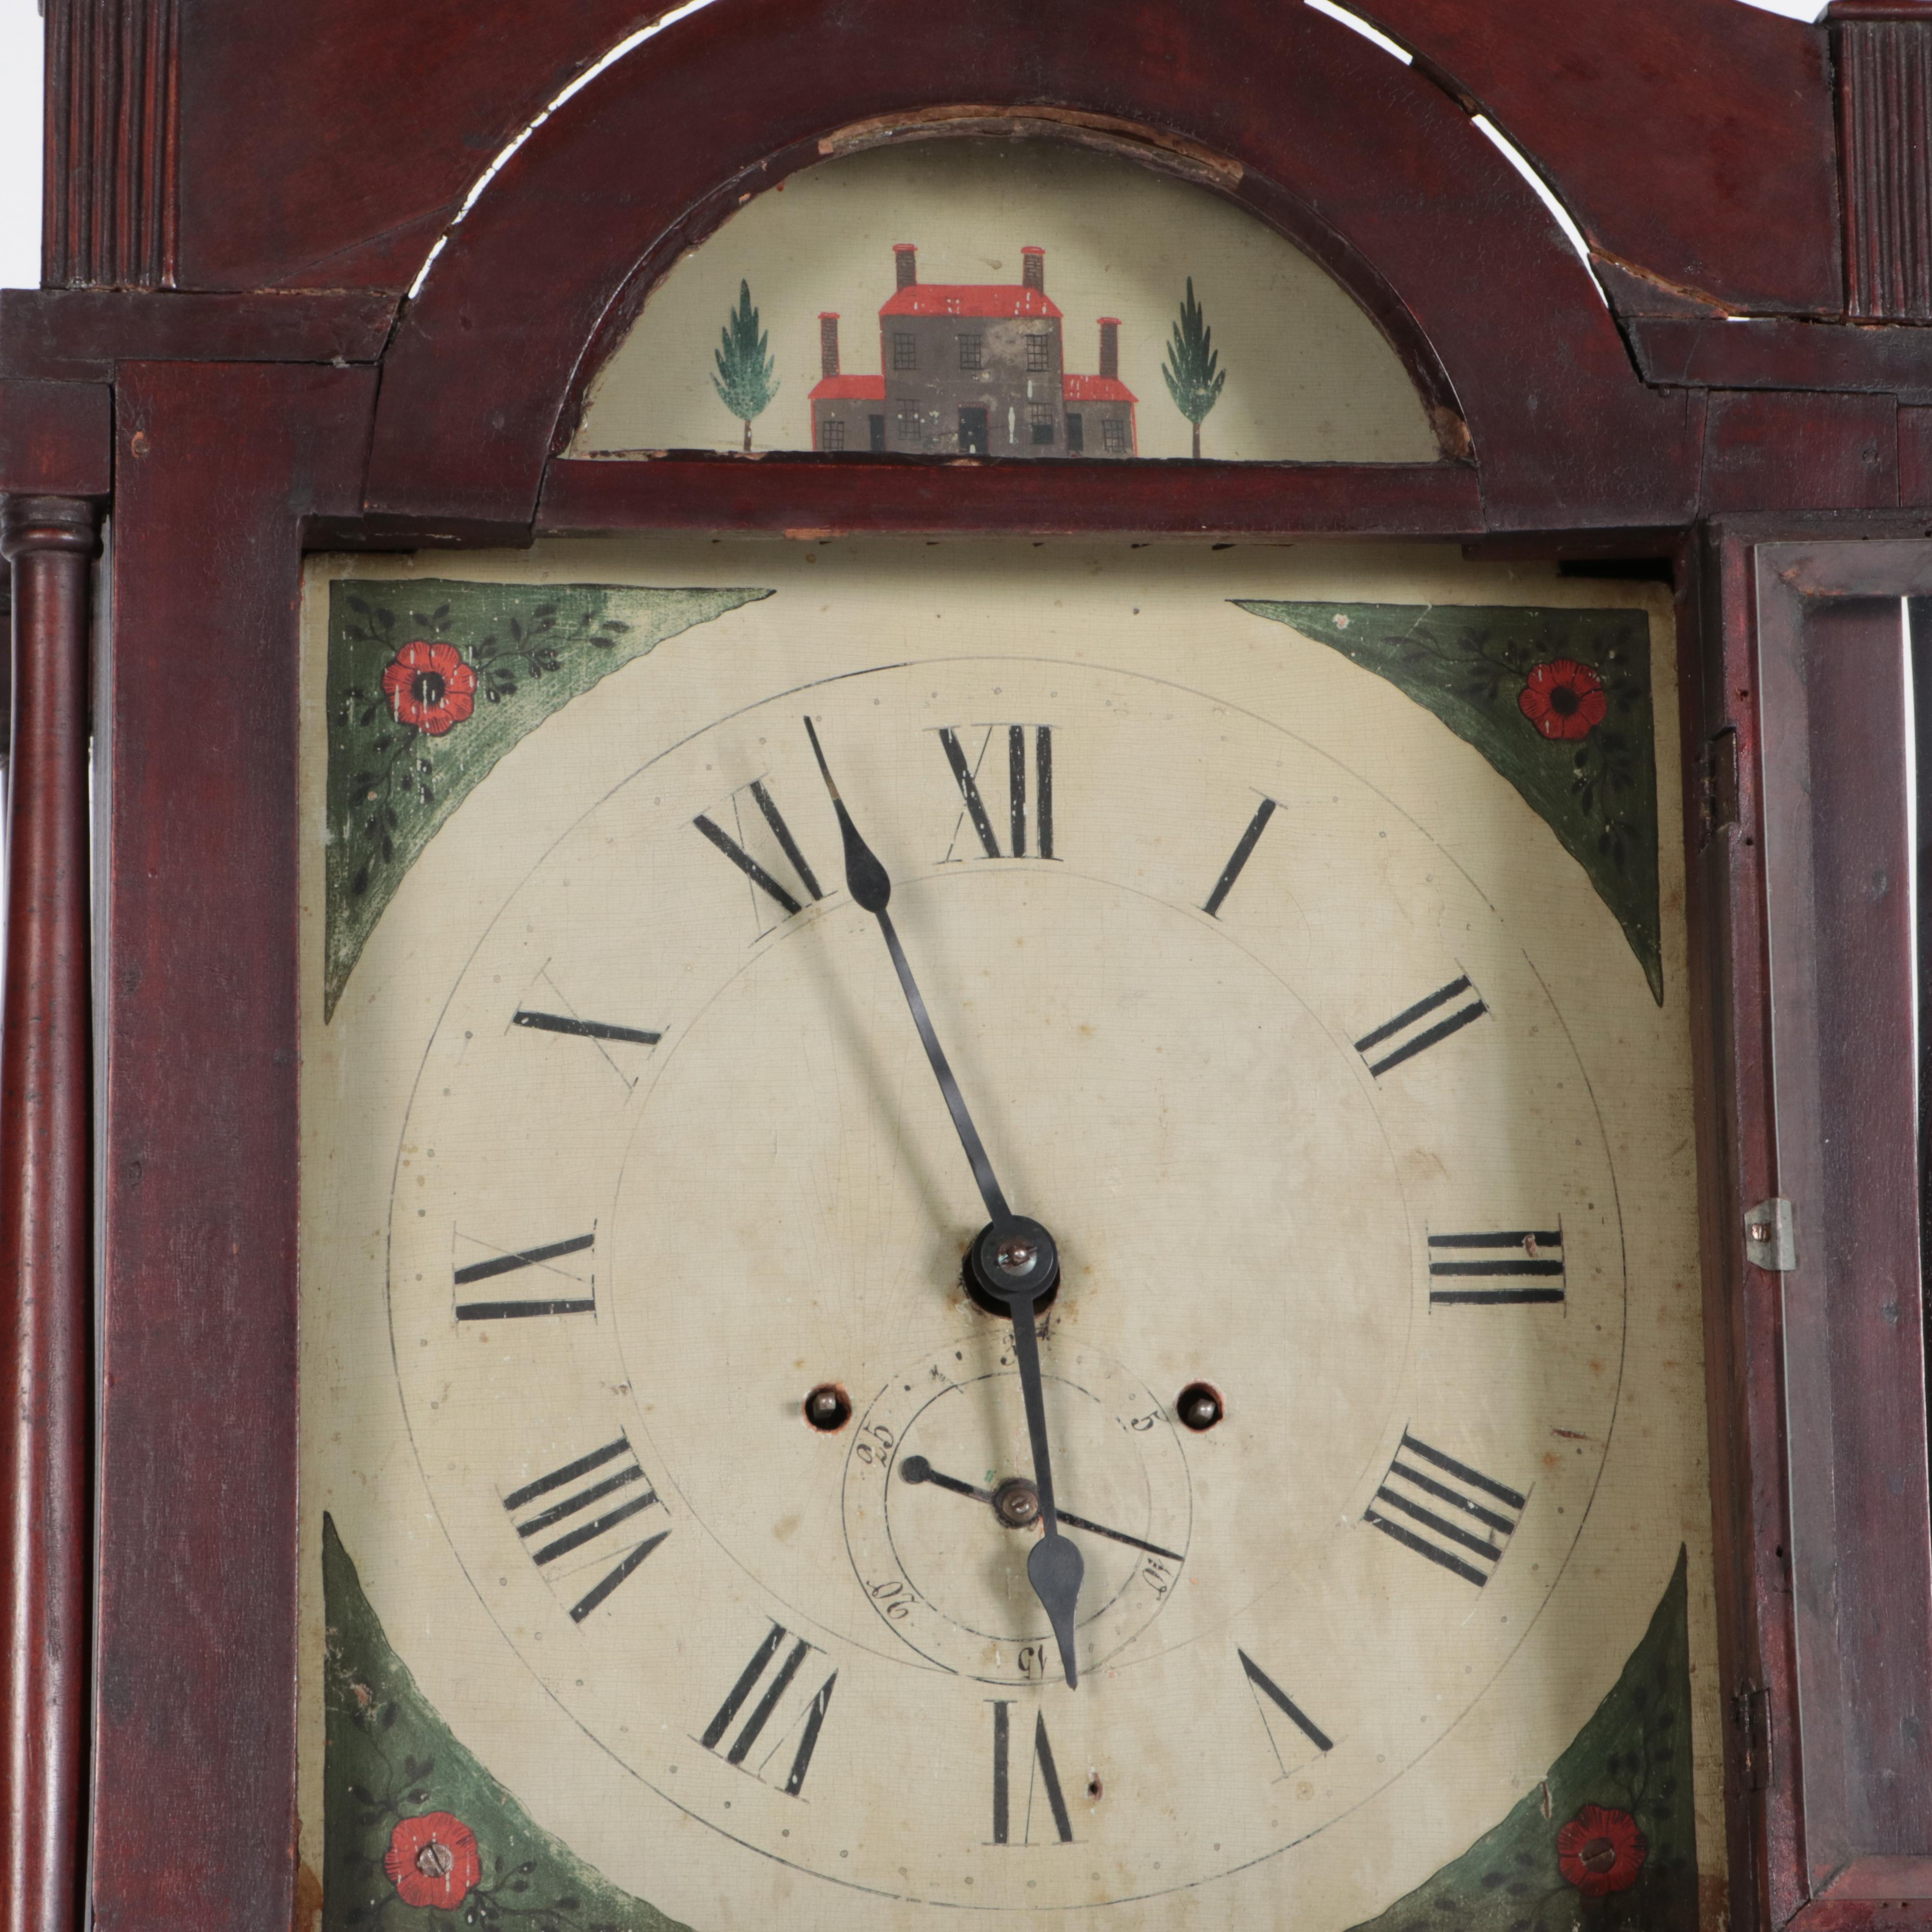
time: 5:56
